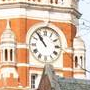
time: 10:53
